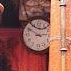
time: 2:50
